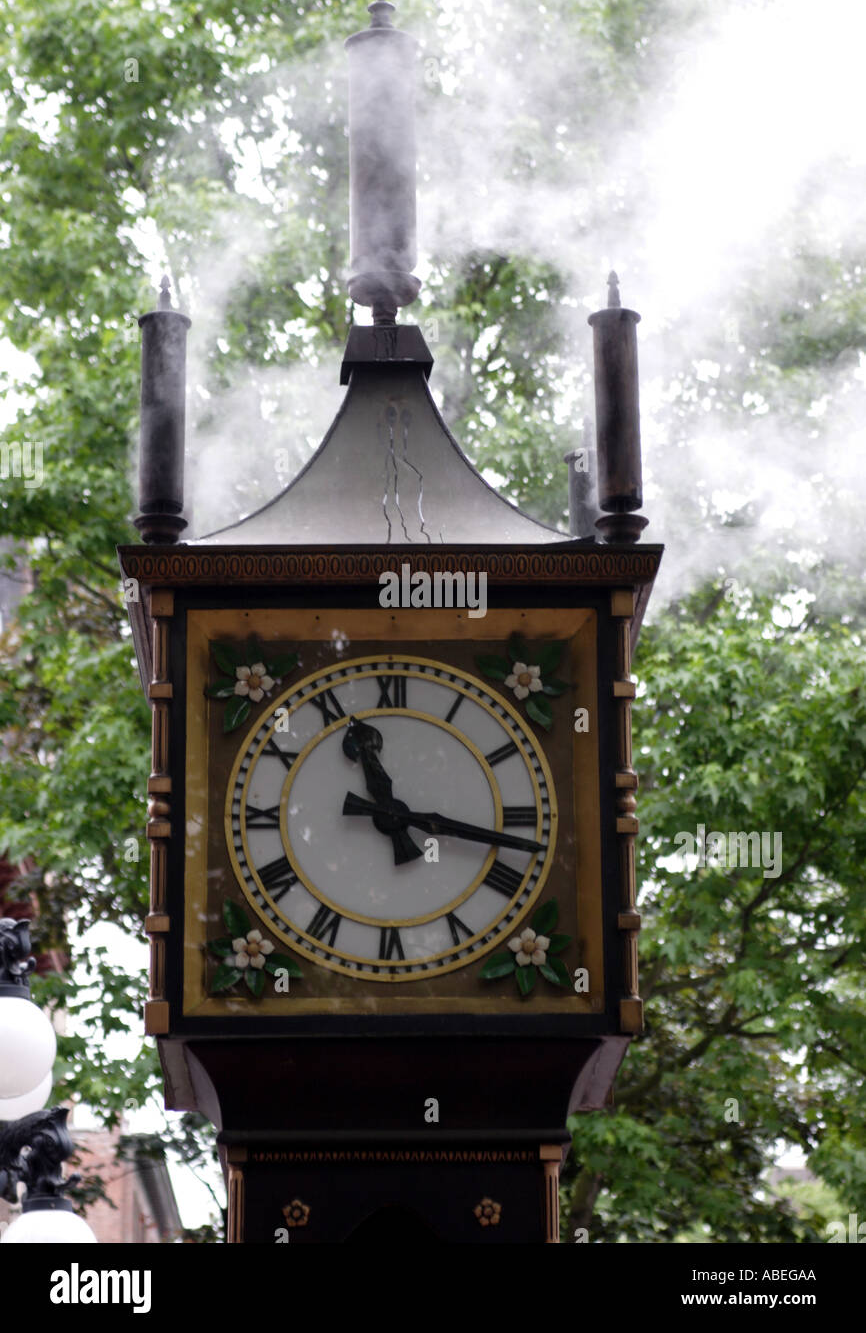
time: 11:17
